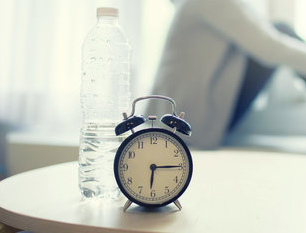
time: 6:14
